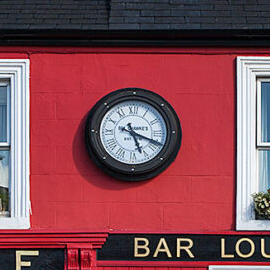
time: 5:18
